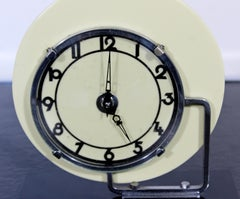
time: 5:00
